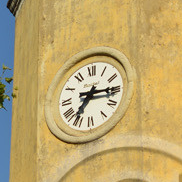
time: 7:15
